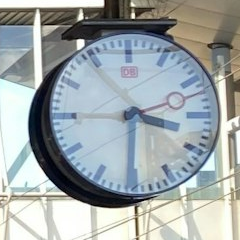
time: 3:30
